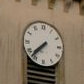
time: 7:37
